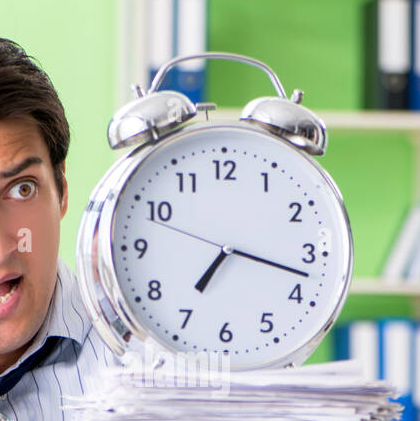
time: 7:17
